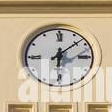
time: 6:08
